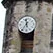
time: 11:35
